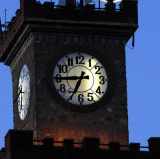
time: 6:44
